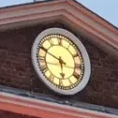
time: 5:49
